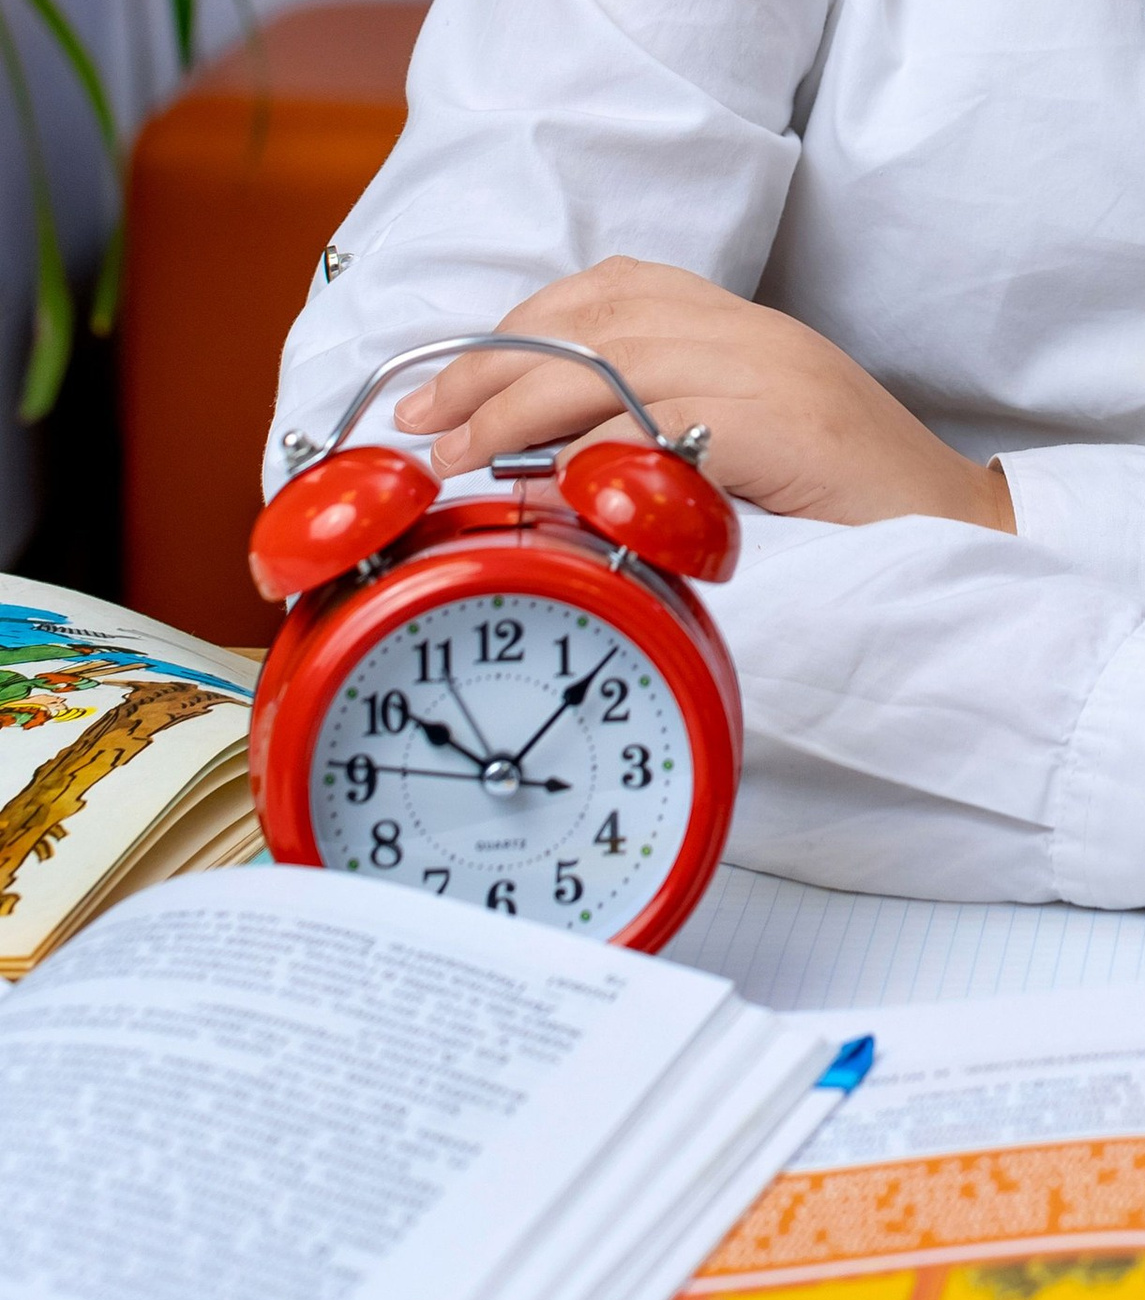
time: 10:07
